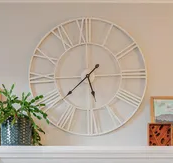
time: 5:38
